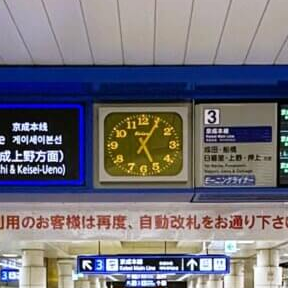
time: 5:05
